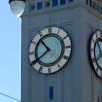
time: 10:39
